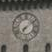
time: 7:09
